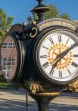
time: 7:09
